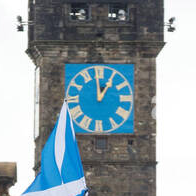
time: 12:59
